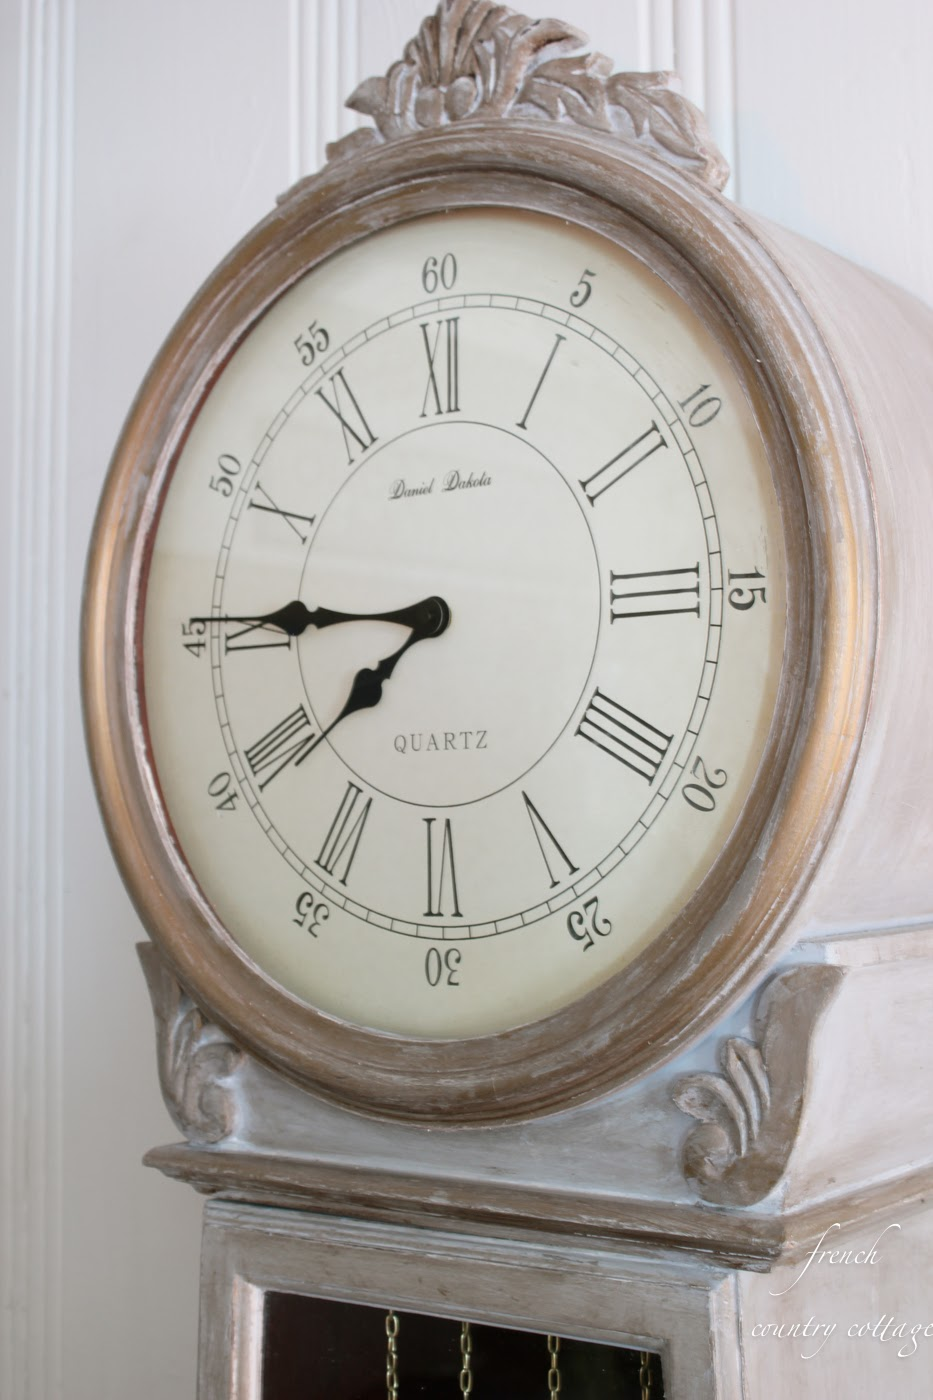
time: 7:45
